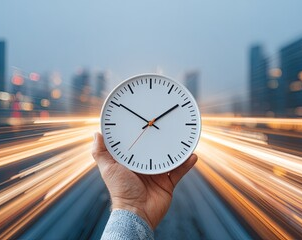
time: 1:50
